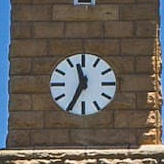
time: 11:34
